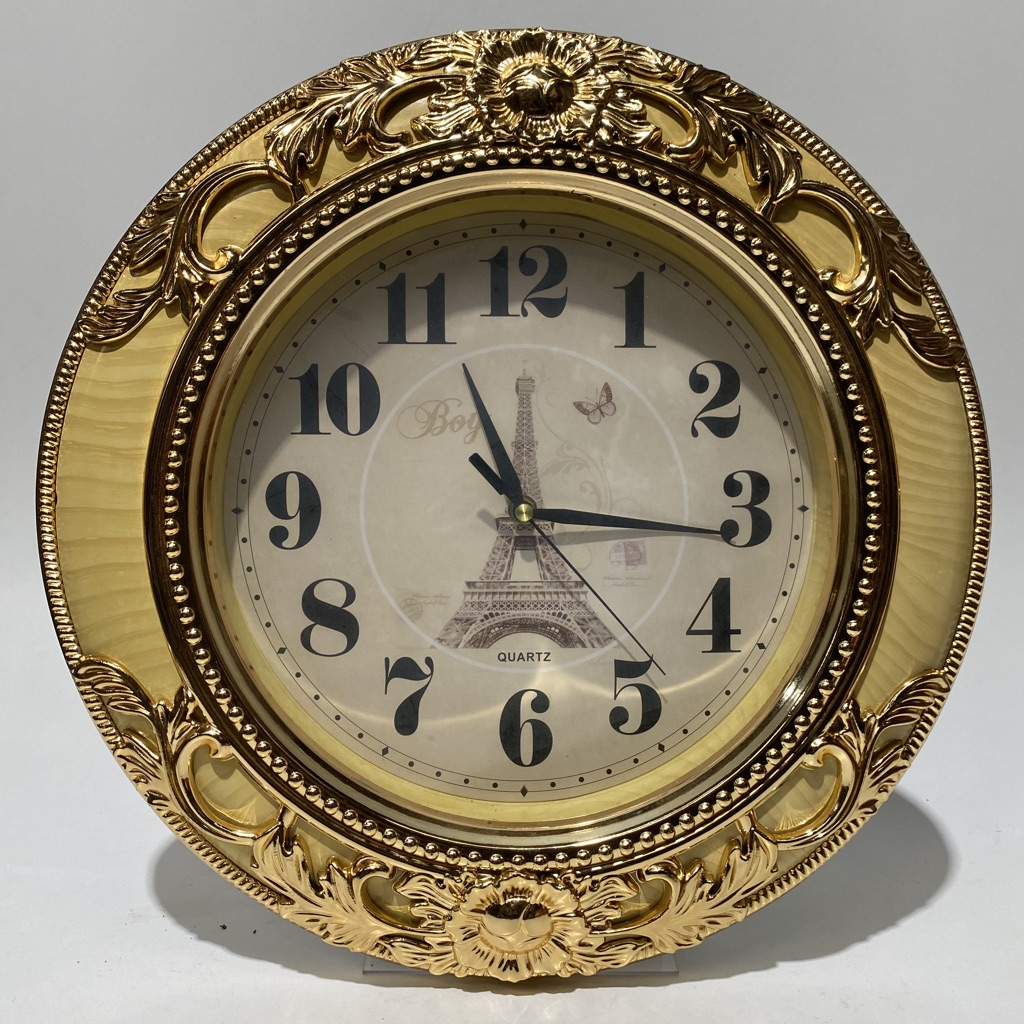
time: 11:16
